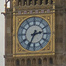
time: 2:34
